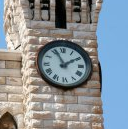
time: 1:56
